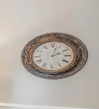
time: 2:02
